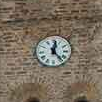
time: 12:23
